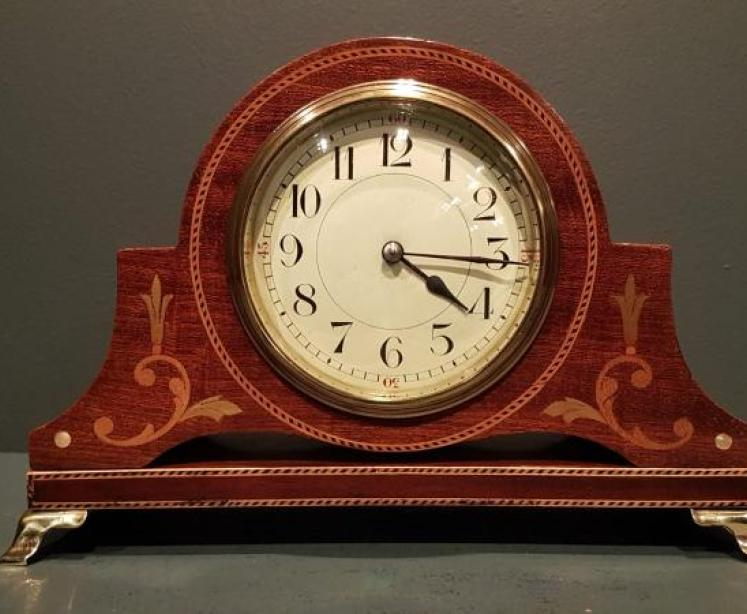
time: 4:15
